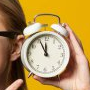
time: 11:55
